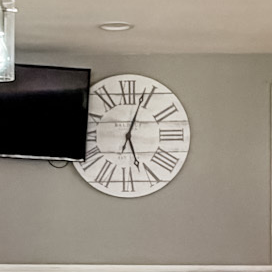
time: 5:03
